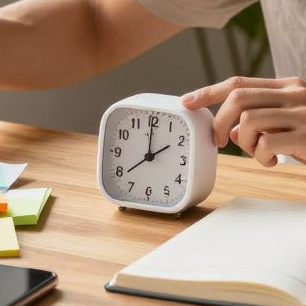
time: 2:00
